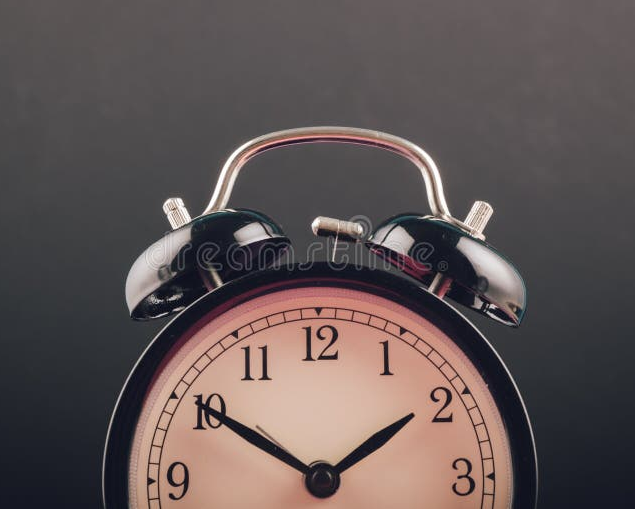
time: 1:50
